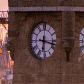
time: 6:17
